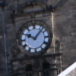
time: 10:07
